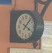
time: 4:07
